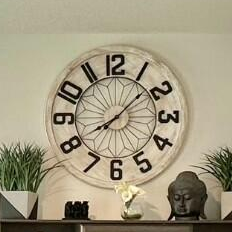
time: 8:07
